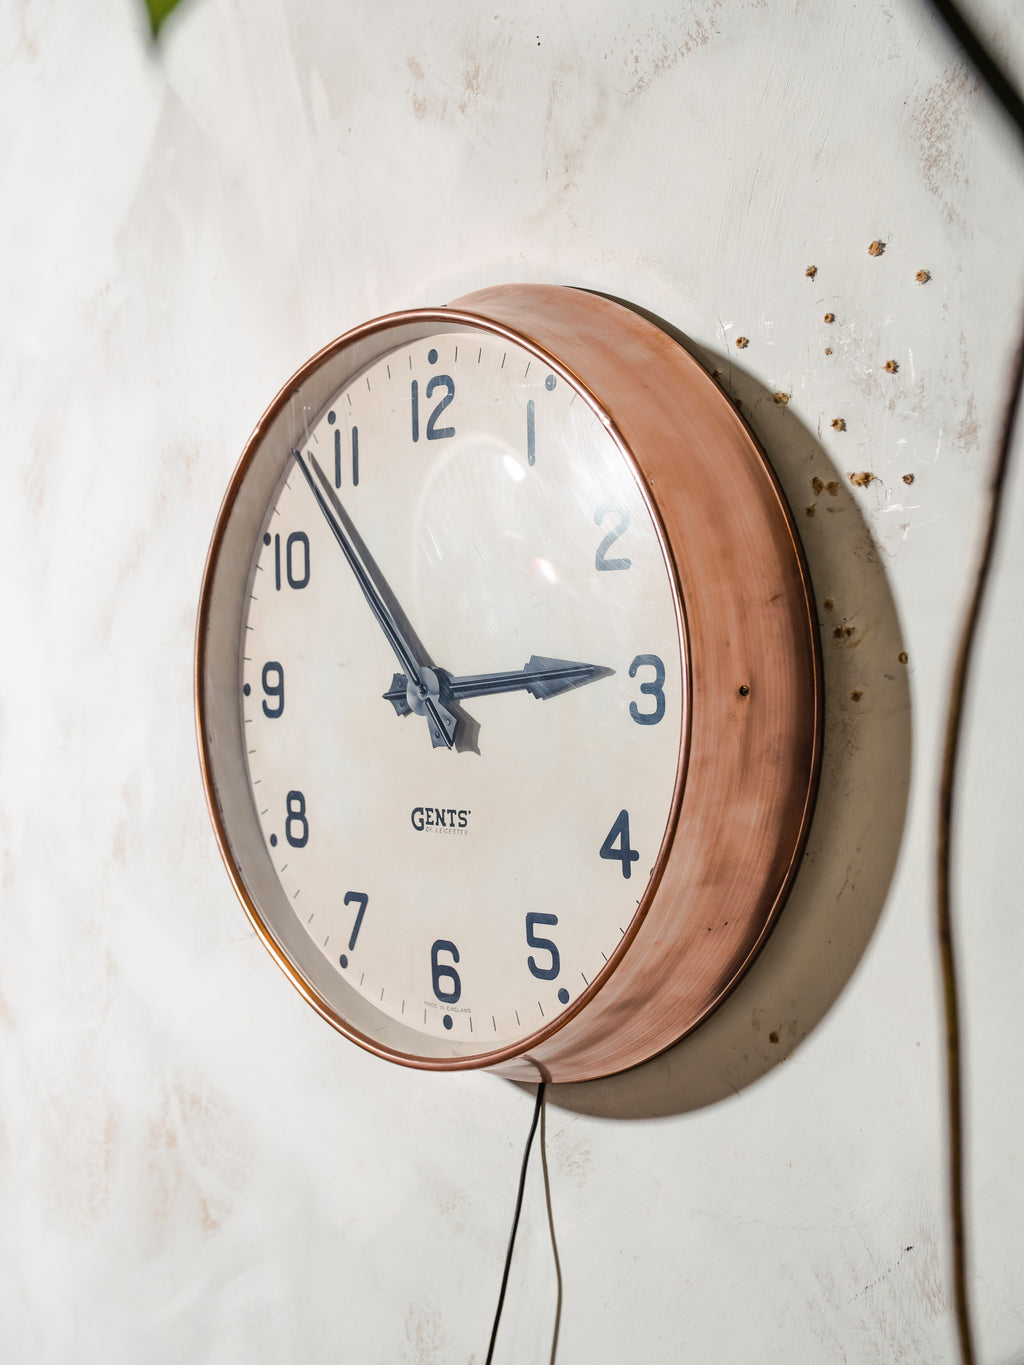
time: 2:53
